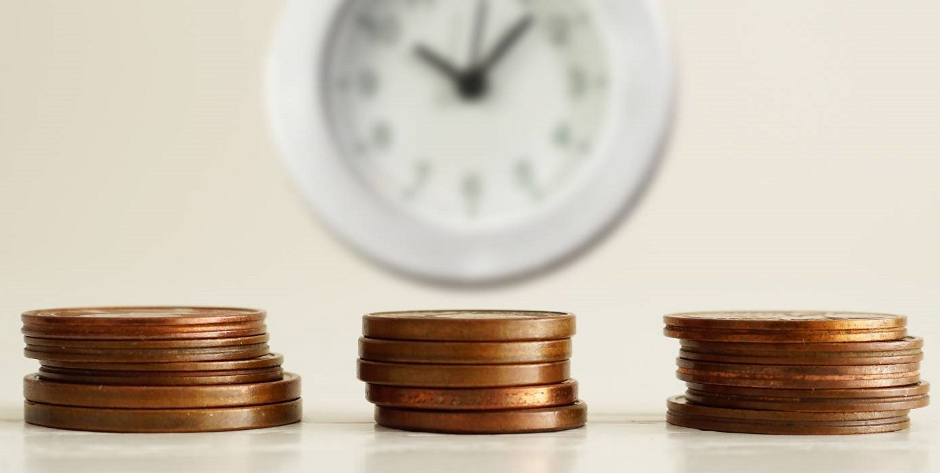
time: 10:07
